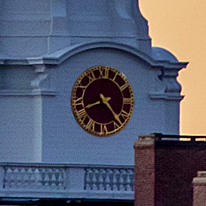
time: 8:23
